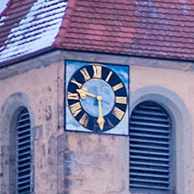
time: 9:28
